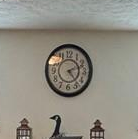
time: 2:23
